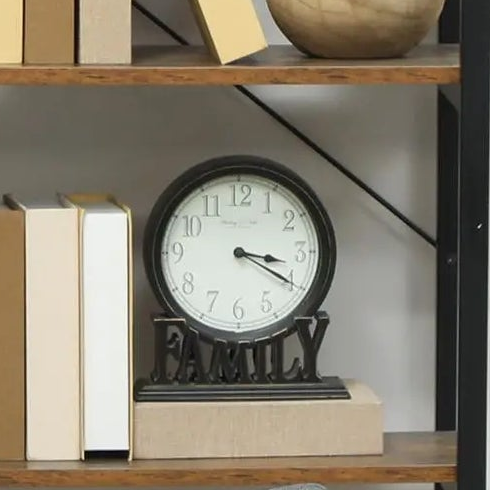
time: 3:19
